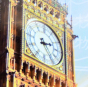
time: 2:24
